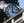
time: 3:00
